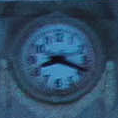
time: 8:18
